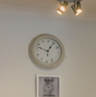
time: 12:47
